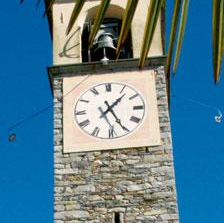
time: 1:25
